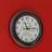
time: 11:13
